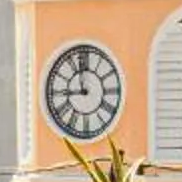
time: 8:57
